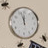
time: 11:56
